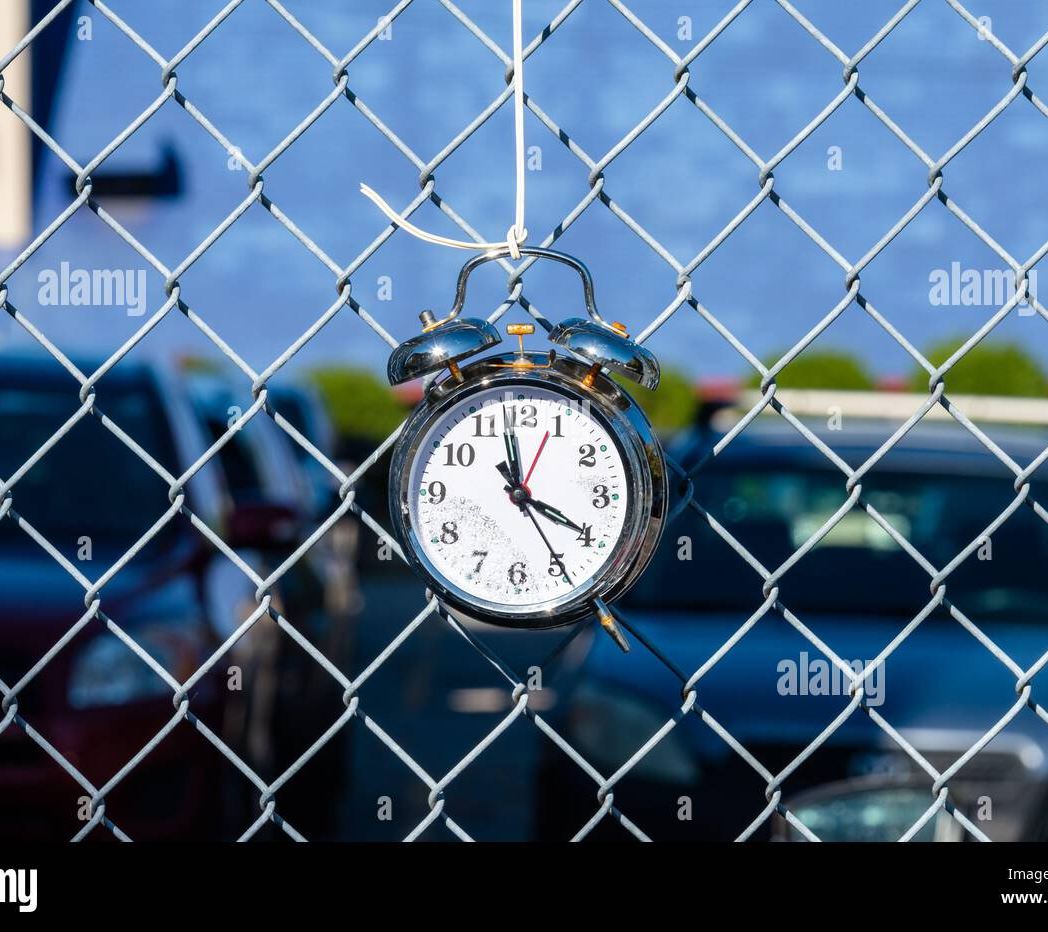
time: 3:58
